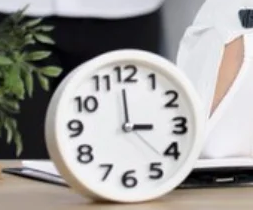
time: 2:59
